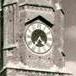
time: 4:35
